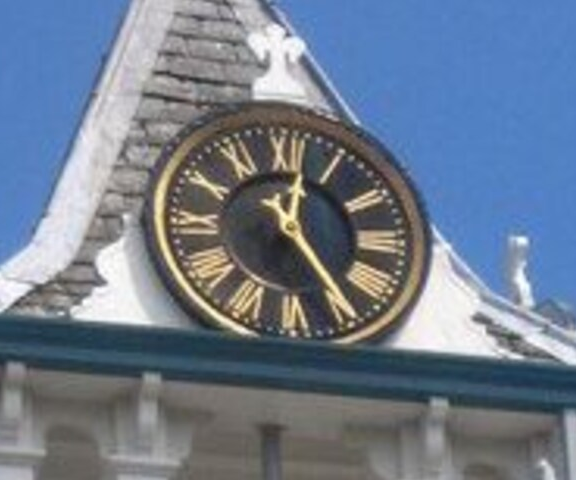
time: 12:24
